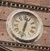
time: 12:32
